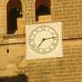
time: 7:13
